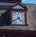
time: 4:39
